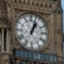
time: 1:02
